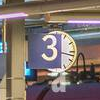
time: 12:17
